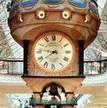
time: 7:46
